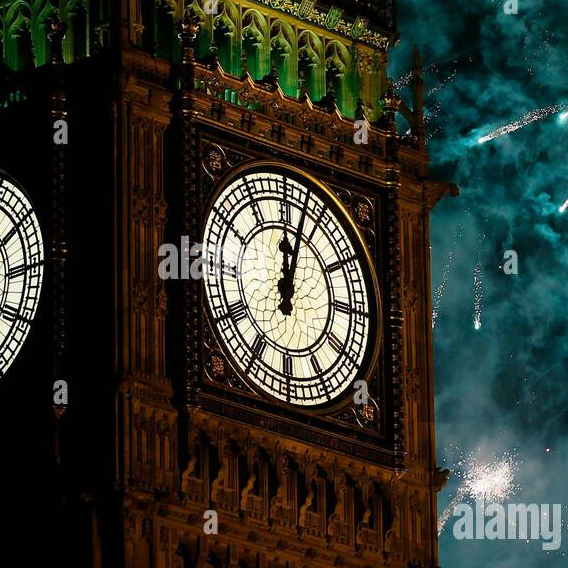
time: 12:02
